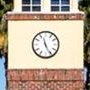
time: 11:25
